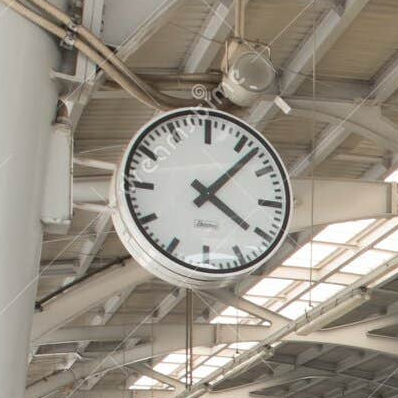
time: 4:07
